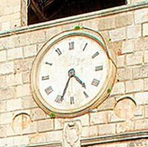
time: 4:34
